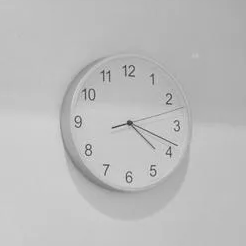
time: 4:18
